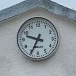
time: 9:34
